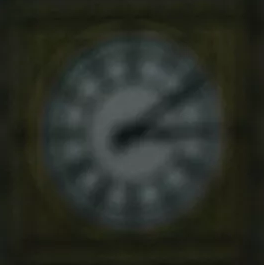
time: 3:09
